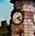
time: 2:21
